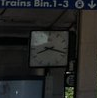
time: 8:17
